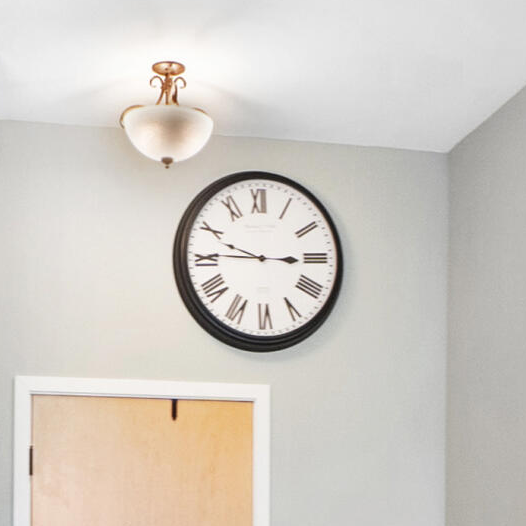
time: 9:45
